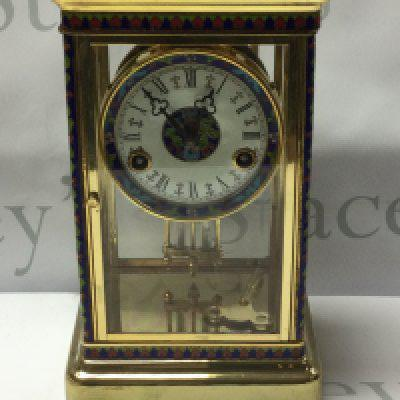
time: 12:52
